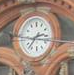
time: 2:36
